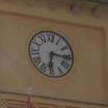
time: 6:15
